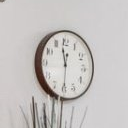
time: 11:30
